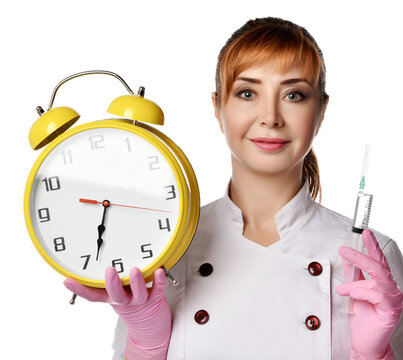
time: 6:33
